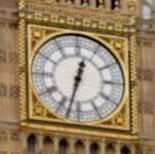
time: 12:32
